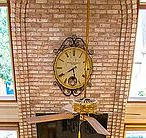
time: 5:40
